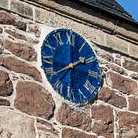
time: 1:39
